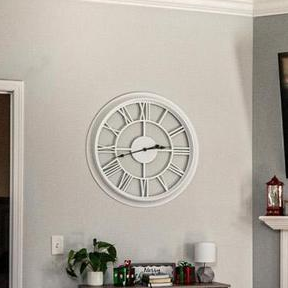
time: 2:42
